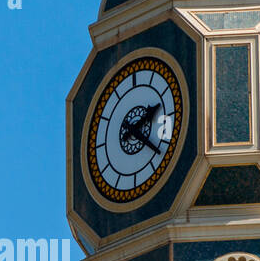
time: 2:21
